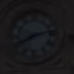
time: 8:12
